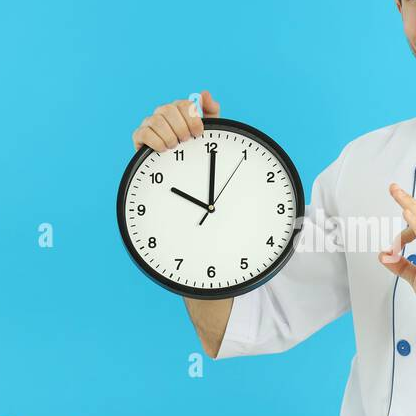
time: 10:00
